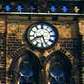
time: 8:26
